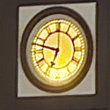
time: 6:47
